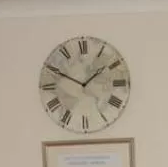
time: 1:49
